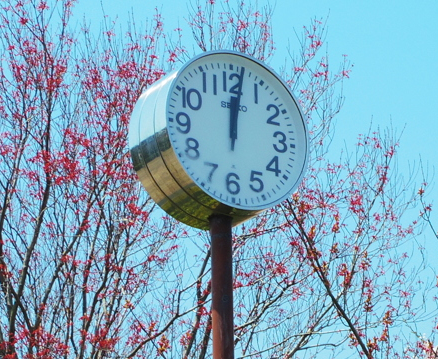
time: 12:01
